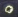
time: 7:12
